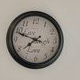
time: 7:48
